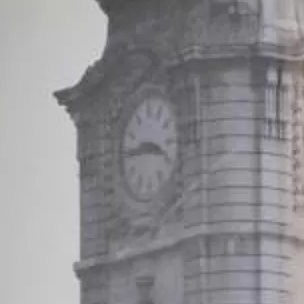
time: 3:44
